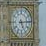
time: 5:14
